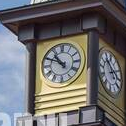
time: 10:49
